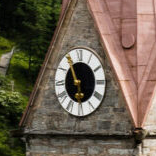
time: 5:54
